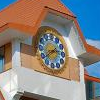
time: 2:38
